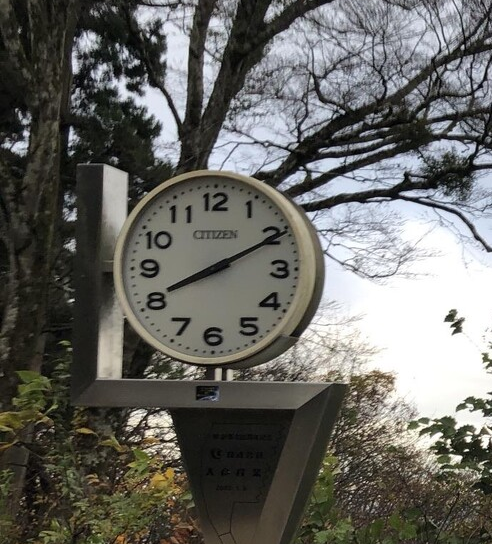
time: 8:10
